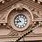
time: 8:52
